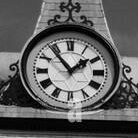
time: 1:53
